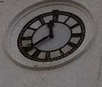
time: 11:38
